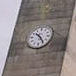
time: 10:24
